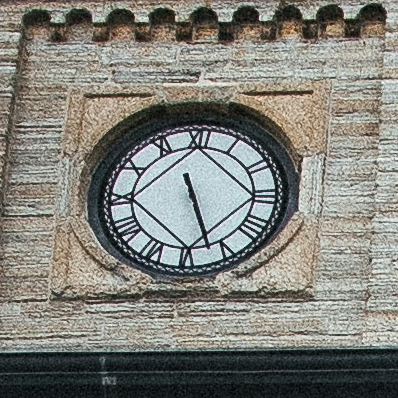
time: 11:26
